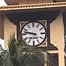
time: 9:47
